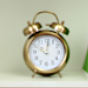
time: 10:01
